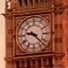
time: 9:22
